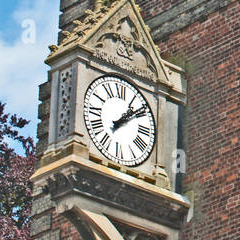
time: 1:08
